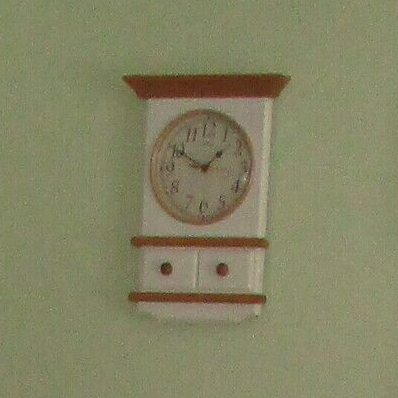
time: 1:49
